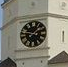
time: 1:46
